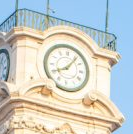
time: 8:06
